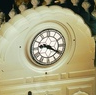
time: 9:20
